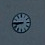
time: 8:45
